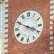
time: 3:49
